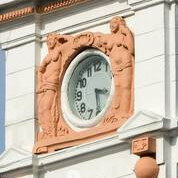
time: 3:29
